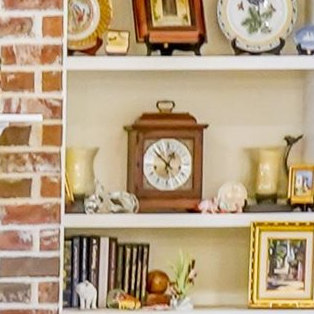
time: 12:52
